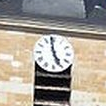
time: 4:58
